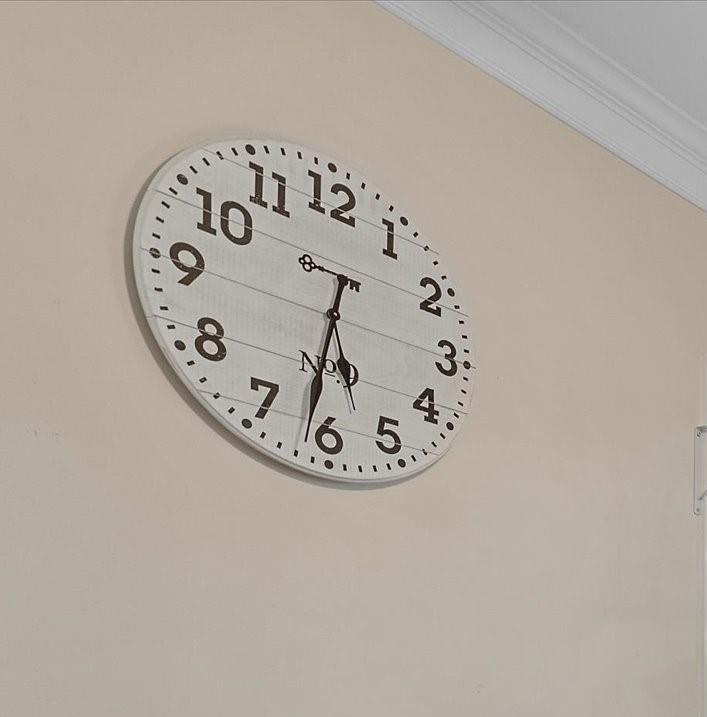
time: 5:31
